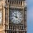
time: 11:46
